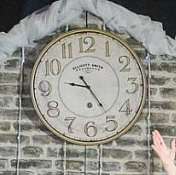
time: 9:24
